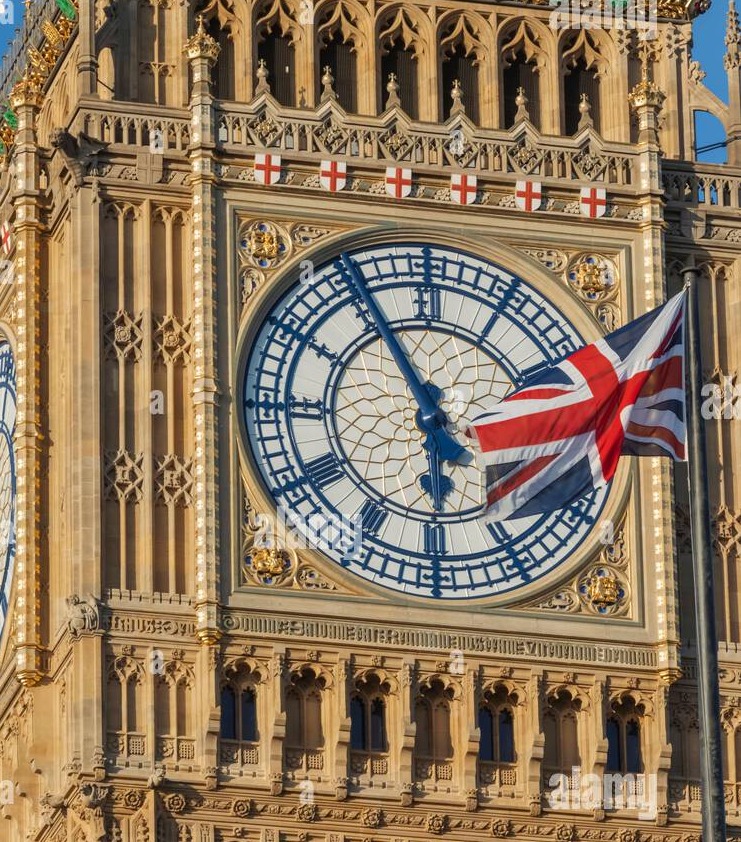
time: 5:55
